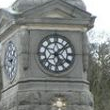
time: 5:08
